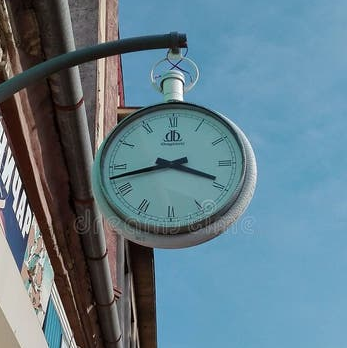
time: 3:42
